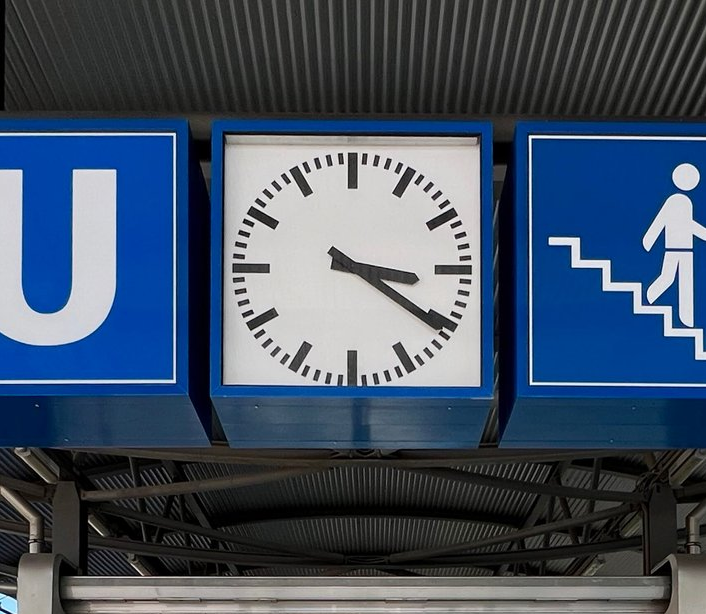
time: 3:20
